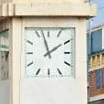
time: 1:57
